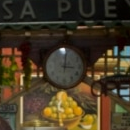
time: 3:01
